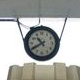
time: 10:39
